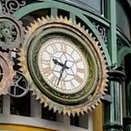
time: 9:34
